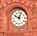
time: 10:03
